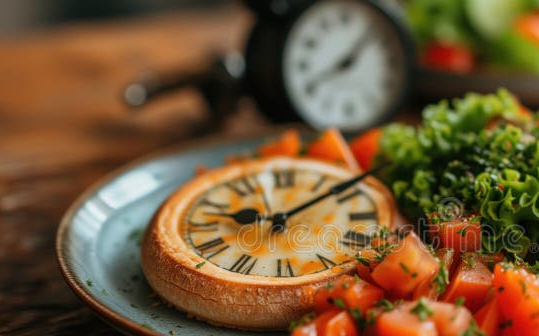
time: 8:07
